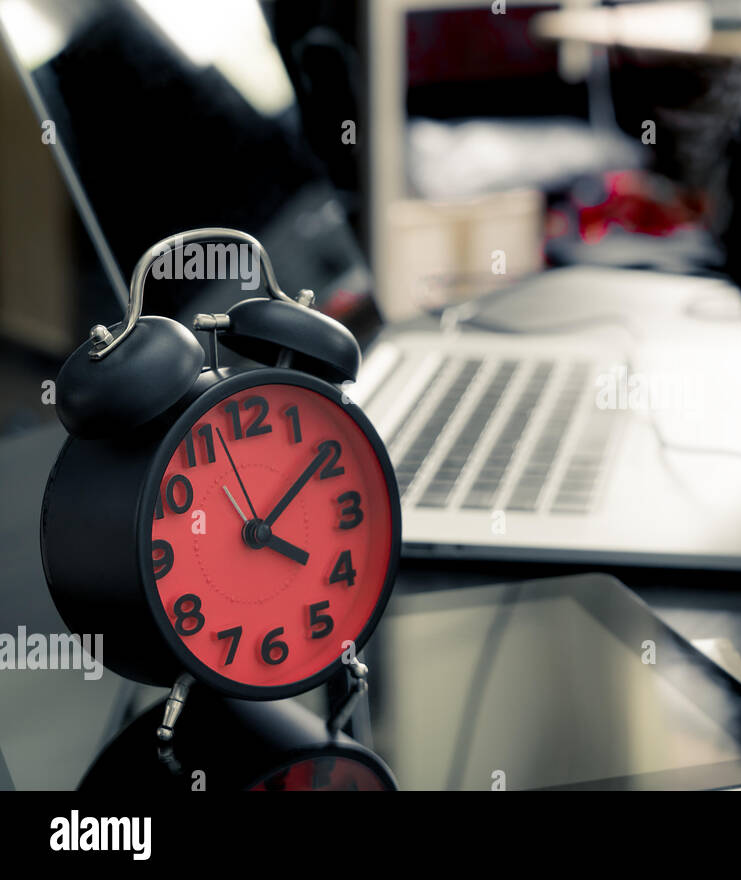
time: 4:09
